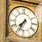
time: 7:34
